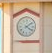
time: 4:08
